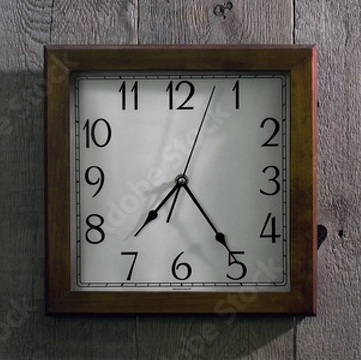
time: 7:24
